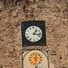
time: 1:16
